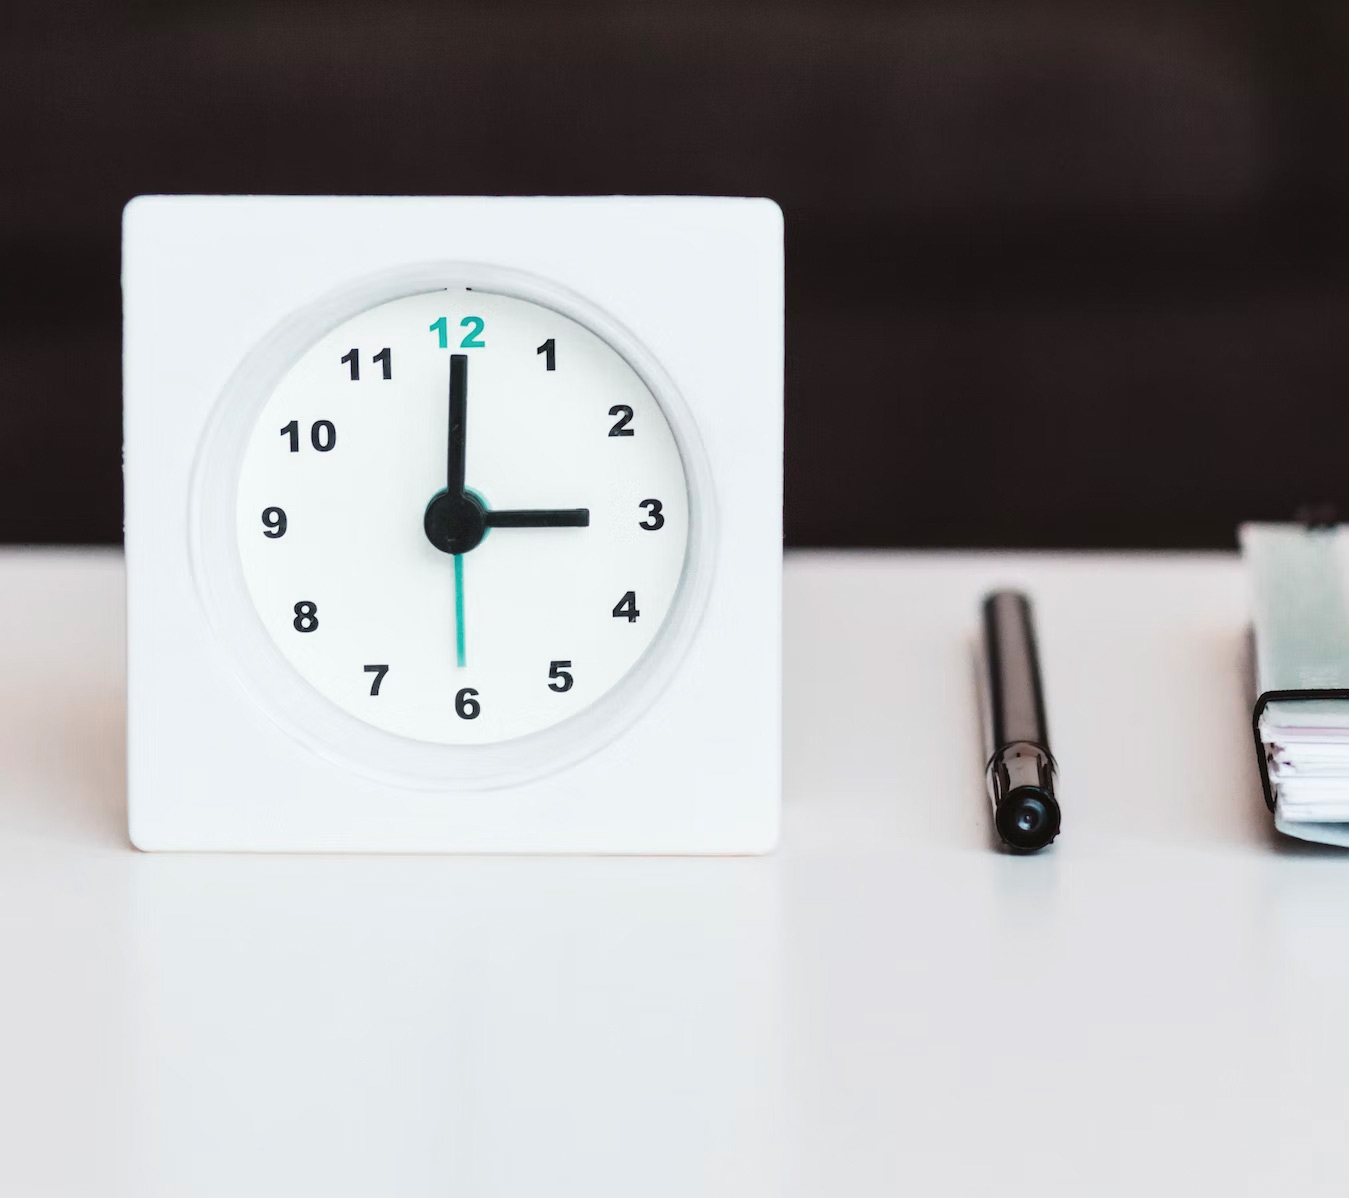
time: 3:00
